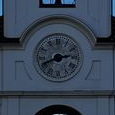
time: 2:40
